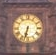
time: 6:32
